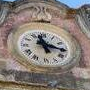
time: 11:16
